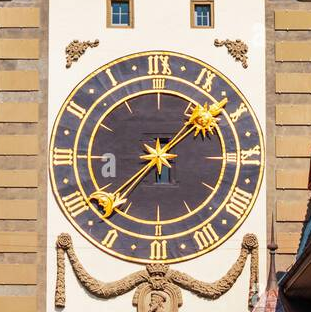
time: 1:37
